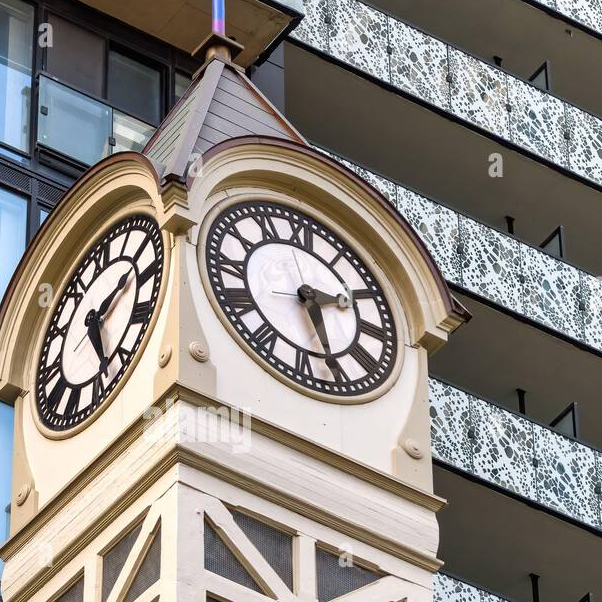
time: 2:26
